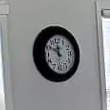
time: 11:51
